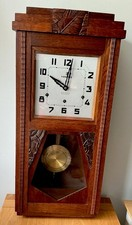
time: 10:01
